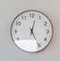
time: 12:25
